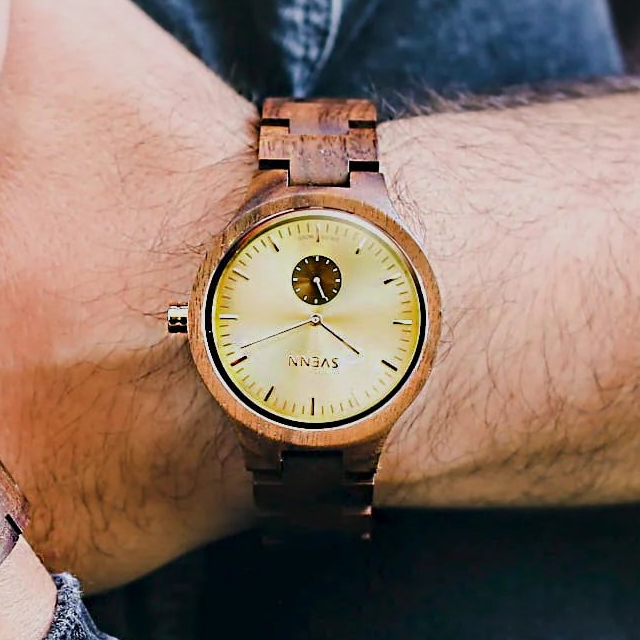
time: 11:20
